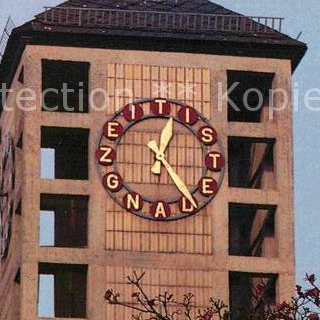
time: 12:24
